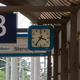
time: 3:36
